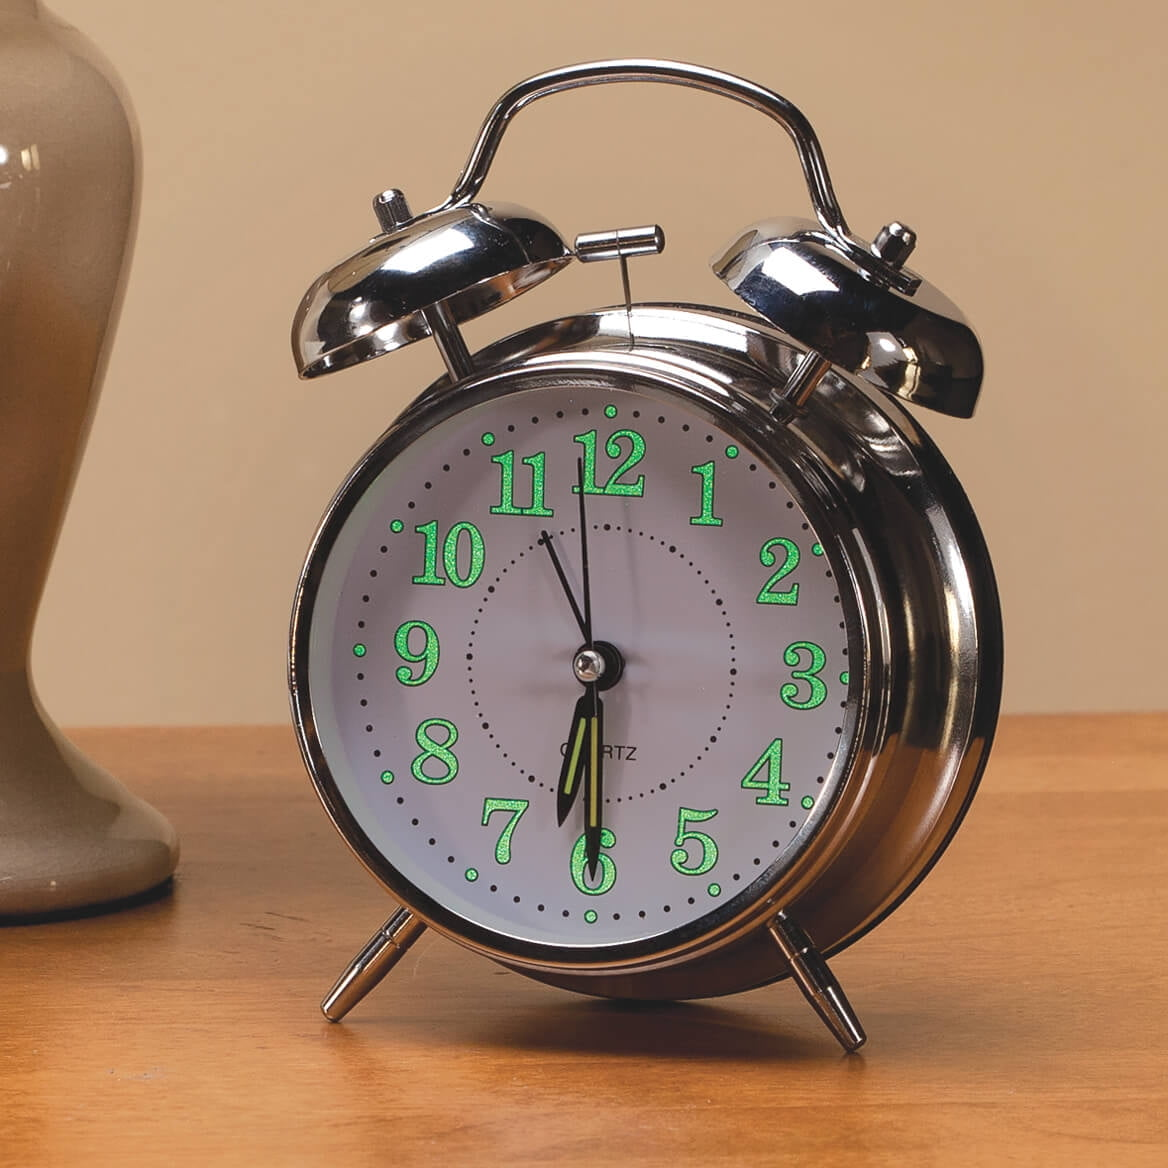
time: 6:30
